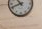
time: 10:41
